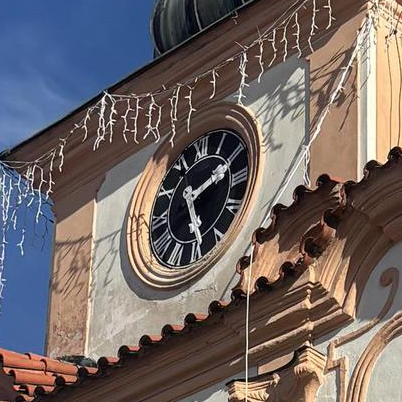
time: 2:24
